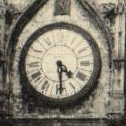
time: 4:29
